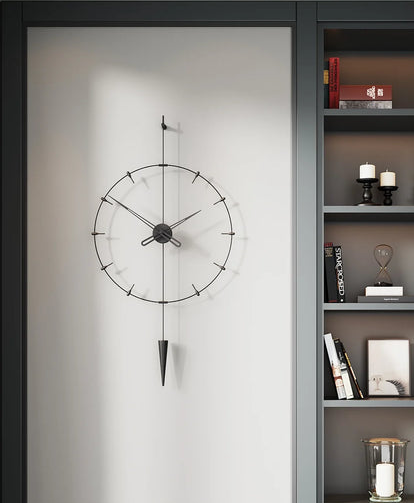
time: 2:00
